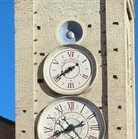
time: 7:39
